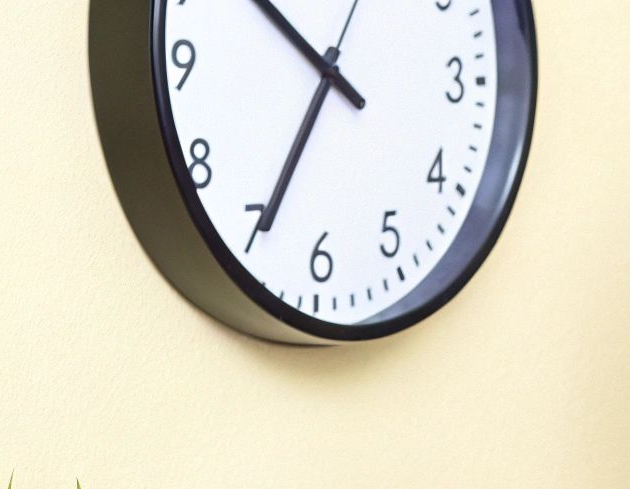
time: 10:34
